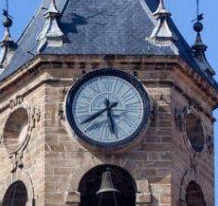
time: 5:40
